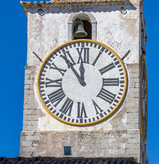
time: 11:53
